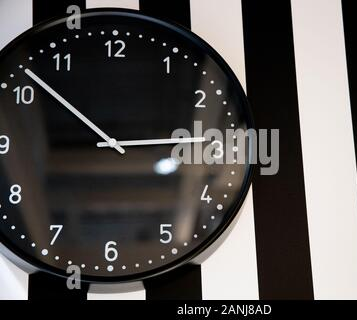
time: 2:52
